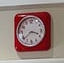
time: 3:38
